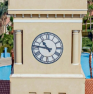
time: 10:46
